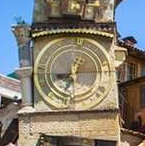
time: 8:33
